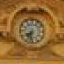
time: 7:32
